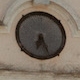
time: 6:25
